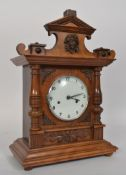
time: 3:12
